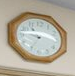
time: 6:45
